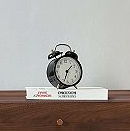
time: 1:33
